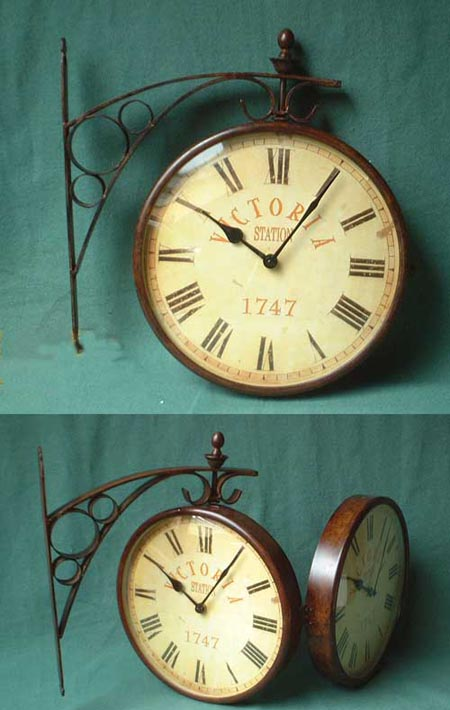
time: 10:05
